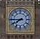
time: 7:45
